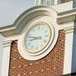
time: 8:47
